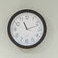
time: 11:12
